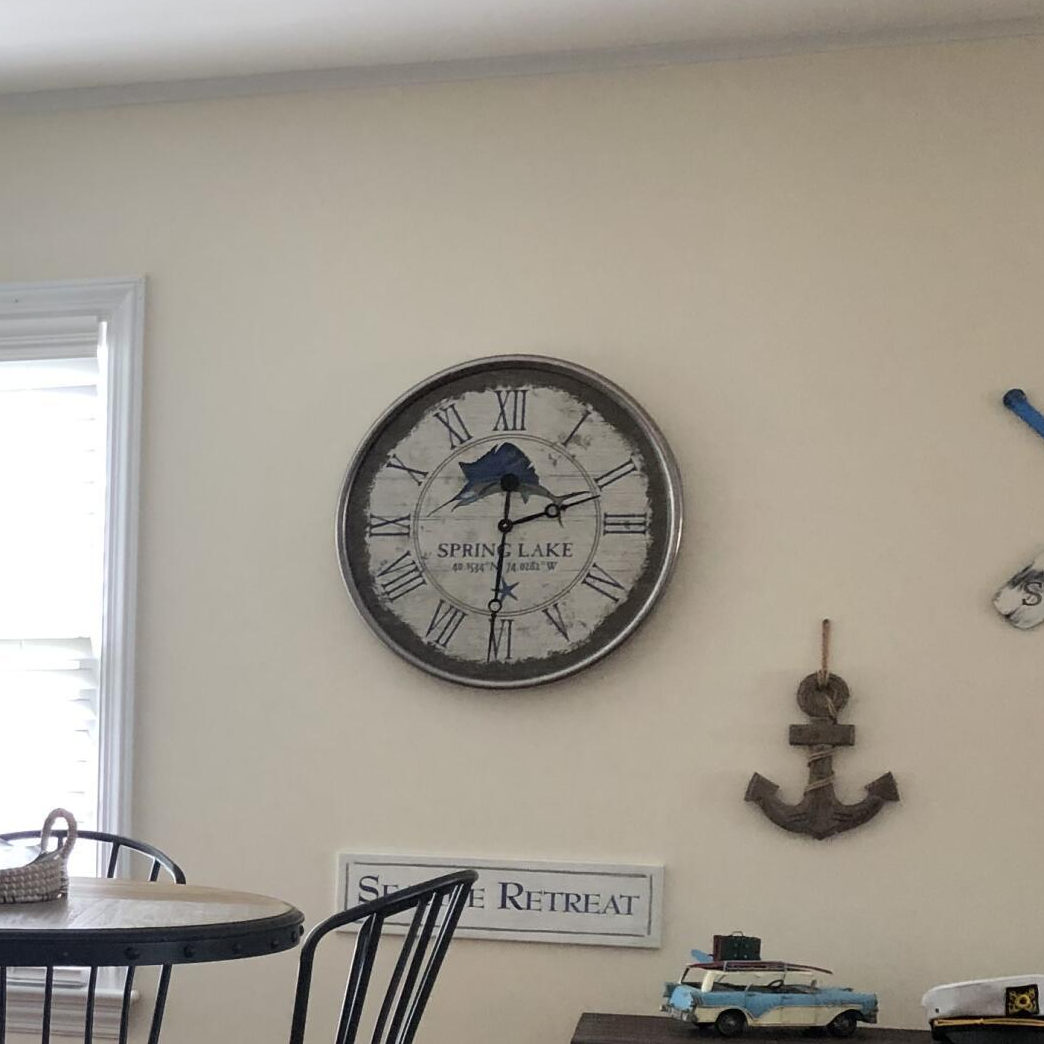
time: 2:30
